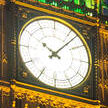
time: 10:07
